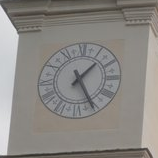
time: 1:25
